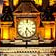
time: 6:23
